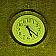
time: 5:21
